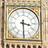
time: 3:29
